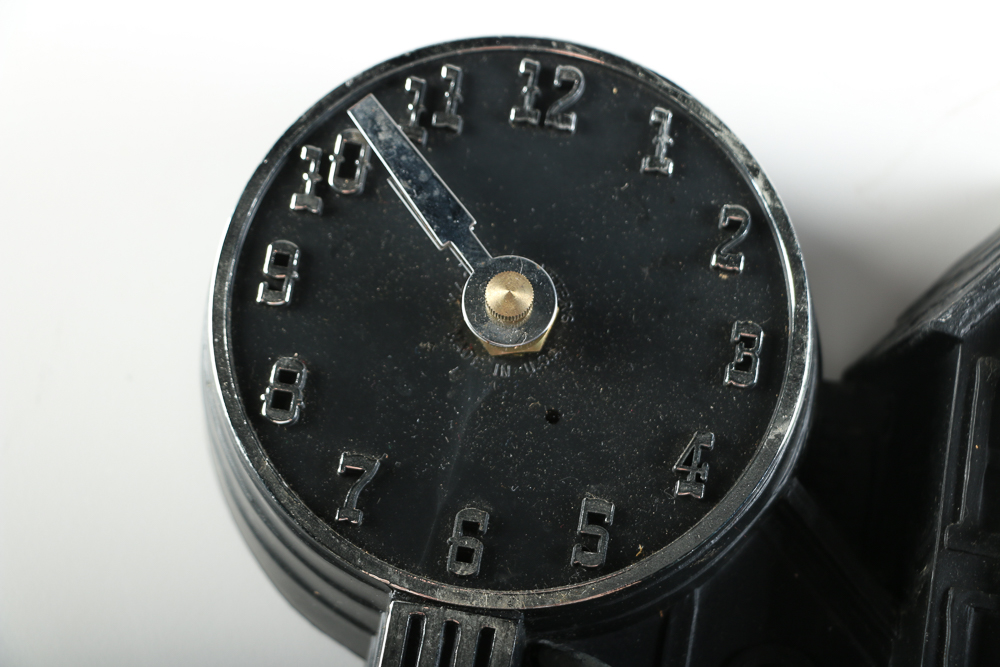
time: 9:52
